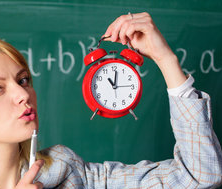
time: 11:01
